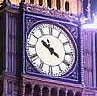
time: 10:50
